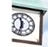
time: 11:32
